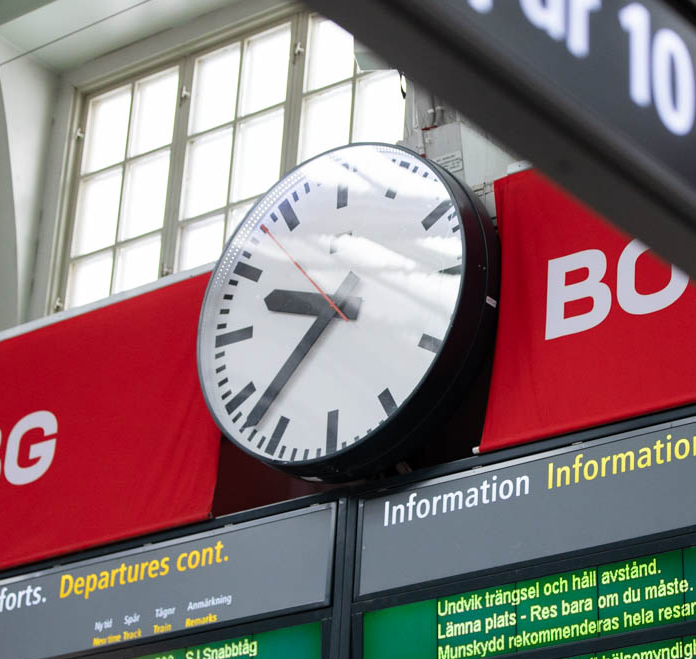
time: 9:37
